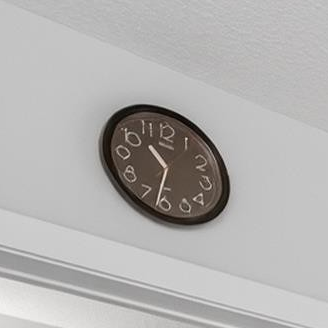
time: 10:31
